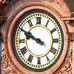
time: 9:49
